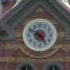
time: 4:50
